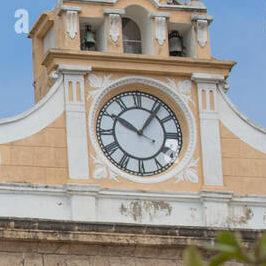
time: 10:06
